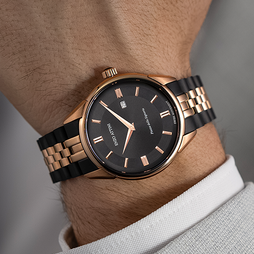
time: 5:49
